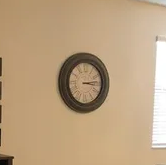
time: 3:13
